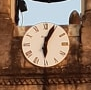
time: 6:03
